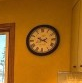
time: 9:42
